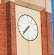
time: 7:37
